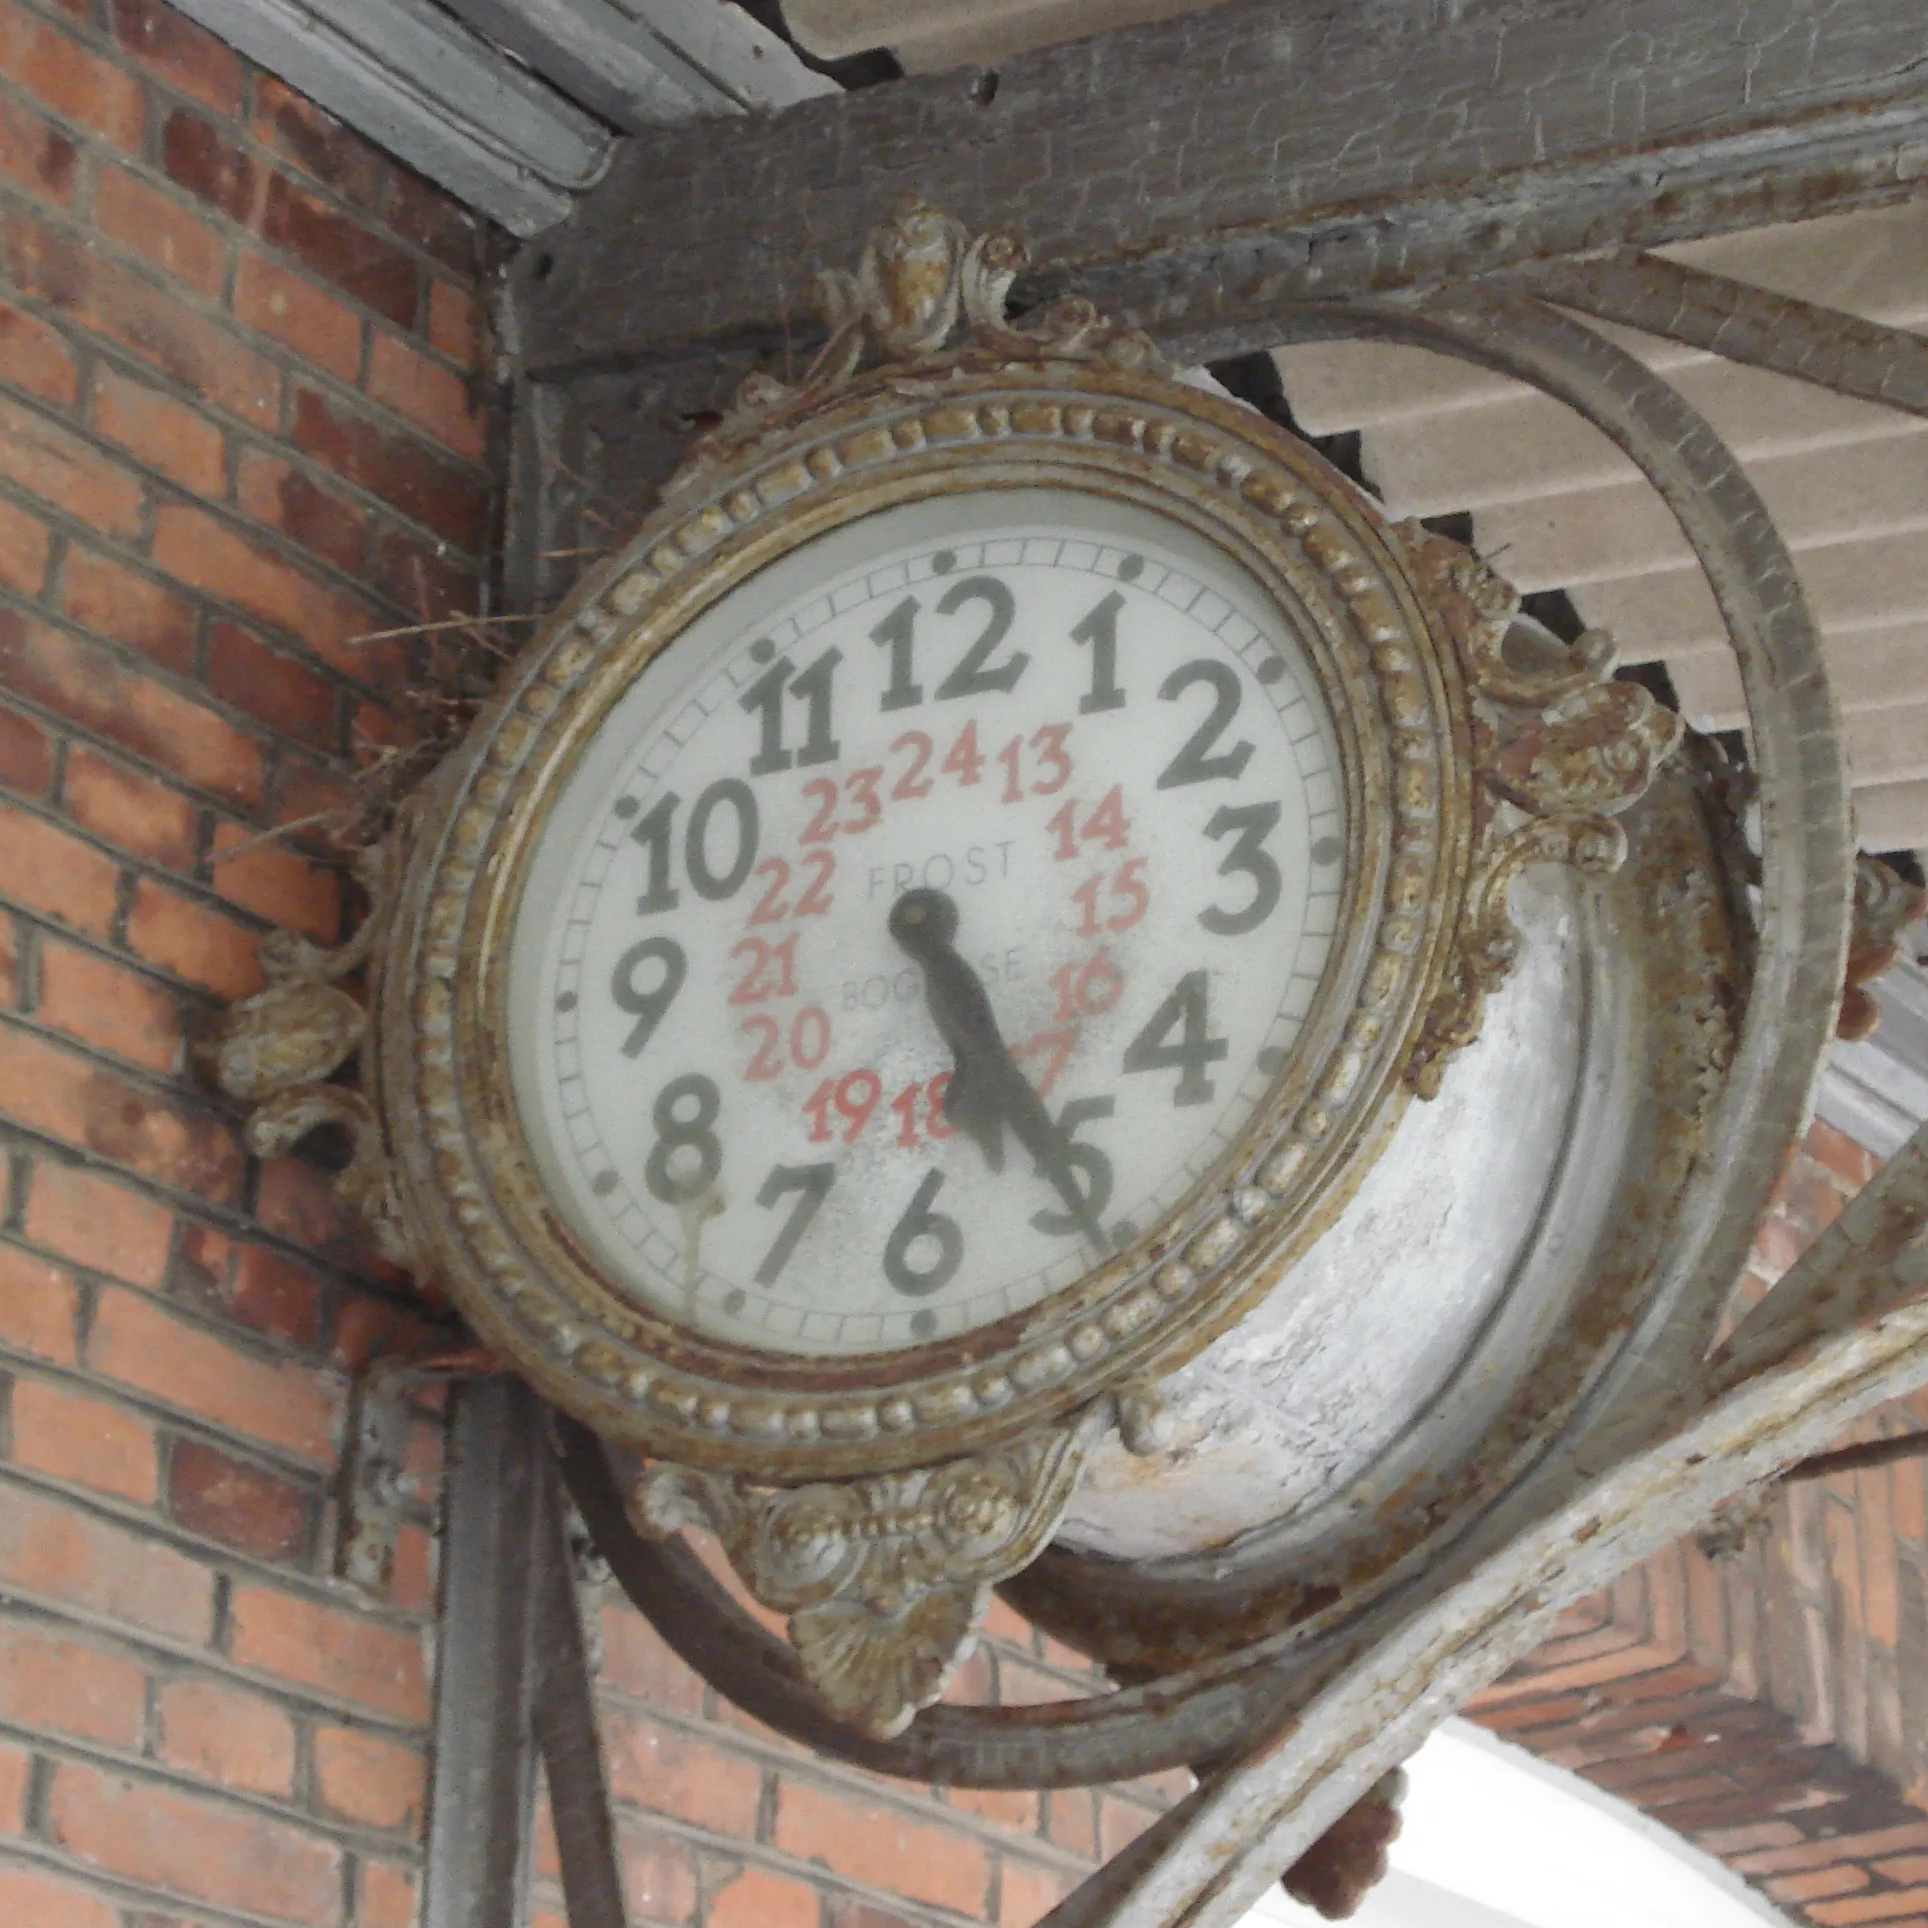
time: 5:24
